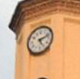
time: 5:11
